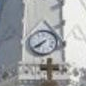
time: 7:39
